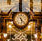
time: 5:22
